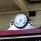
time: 7:22
